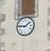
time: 1:46
